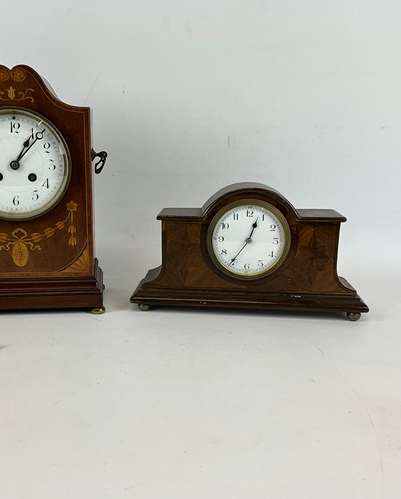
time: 12:34
